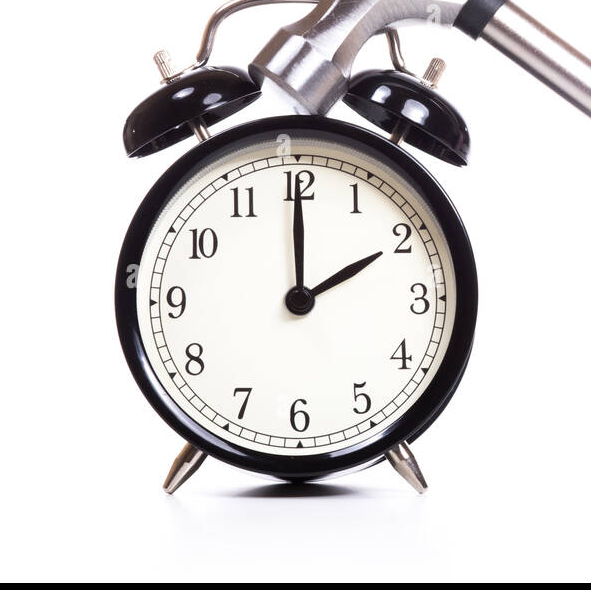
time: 2:00
